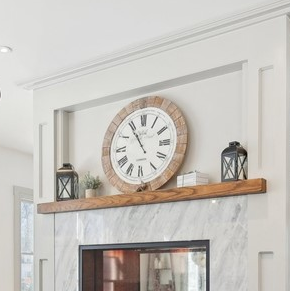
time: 10:54
